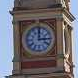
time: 3:00
